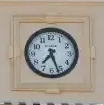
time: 7:26
